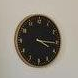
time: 4:15
